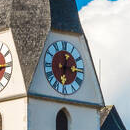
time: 6:15
